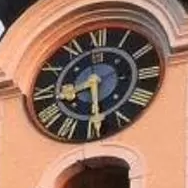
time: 8:29
